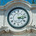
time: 3:12
